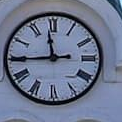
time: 11:44
